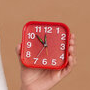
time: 11:52
